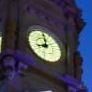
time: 8:01
